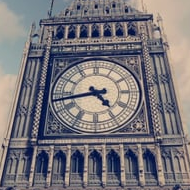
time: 4:42
